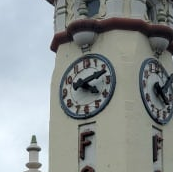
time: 4:11
